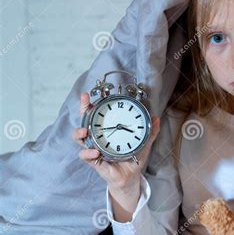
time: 3:43
